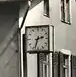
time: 2:33
